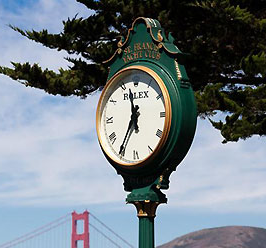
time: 11:35
